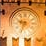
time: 9:33
